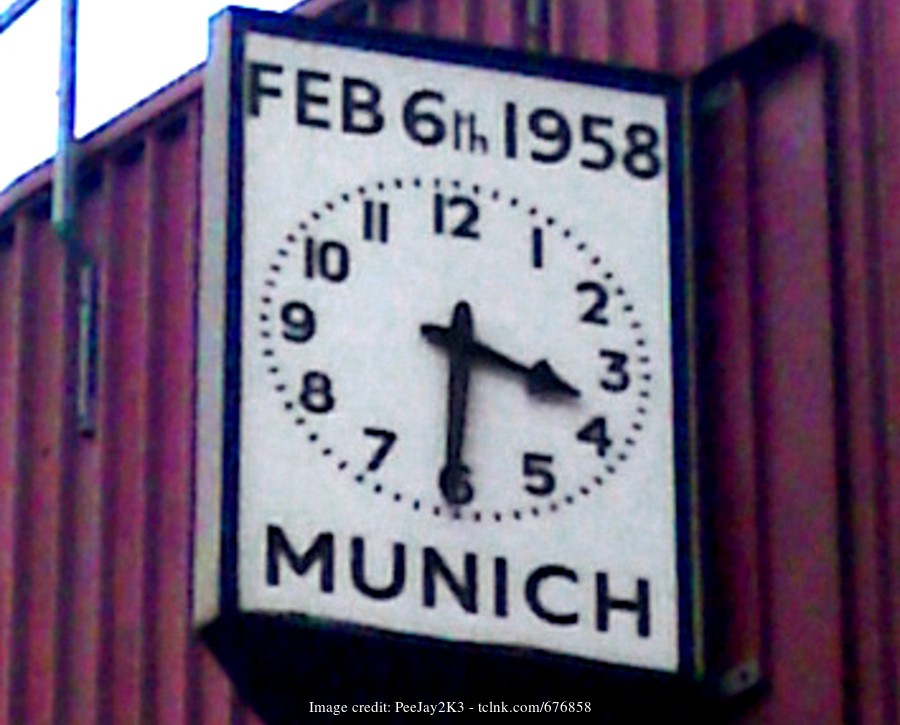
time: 3:30
